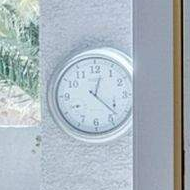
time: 12:22
